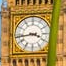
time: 3:43
